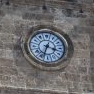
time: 3:33
